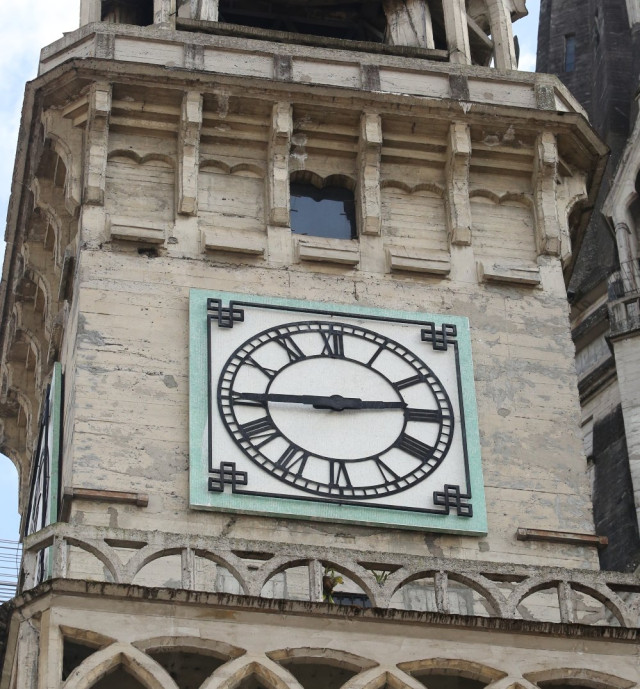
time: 2:44
